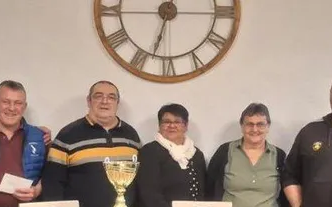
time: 6:32
